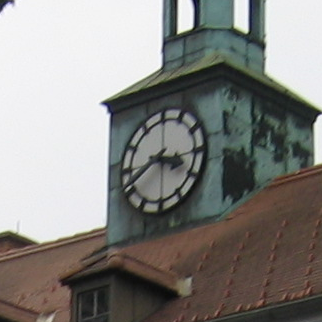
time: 3:40
